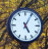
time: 5:05
